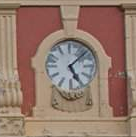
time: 5:07
